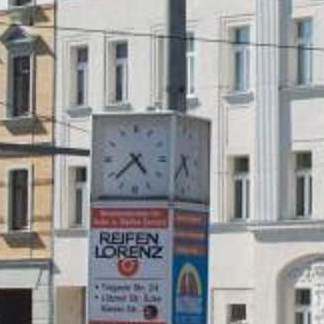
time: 4:37
